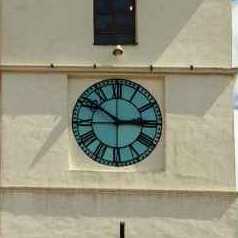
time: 2:50
